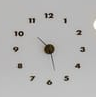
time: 10:27
